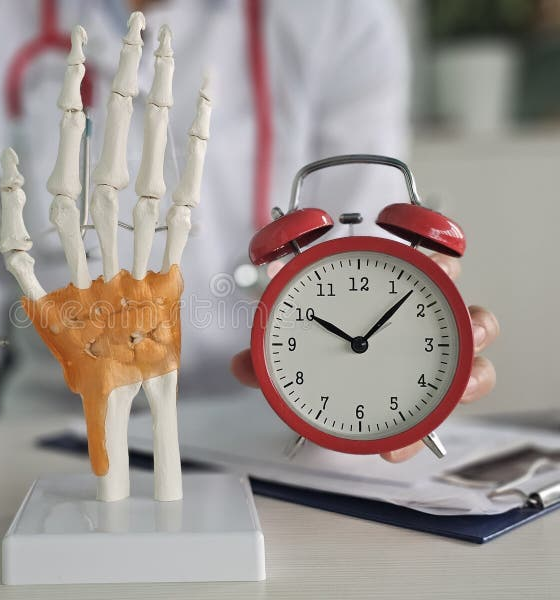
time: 10:07
